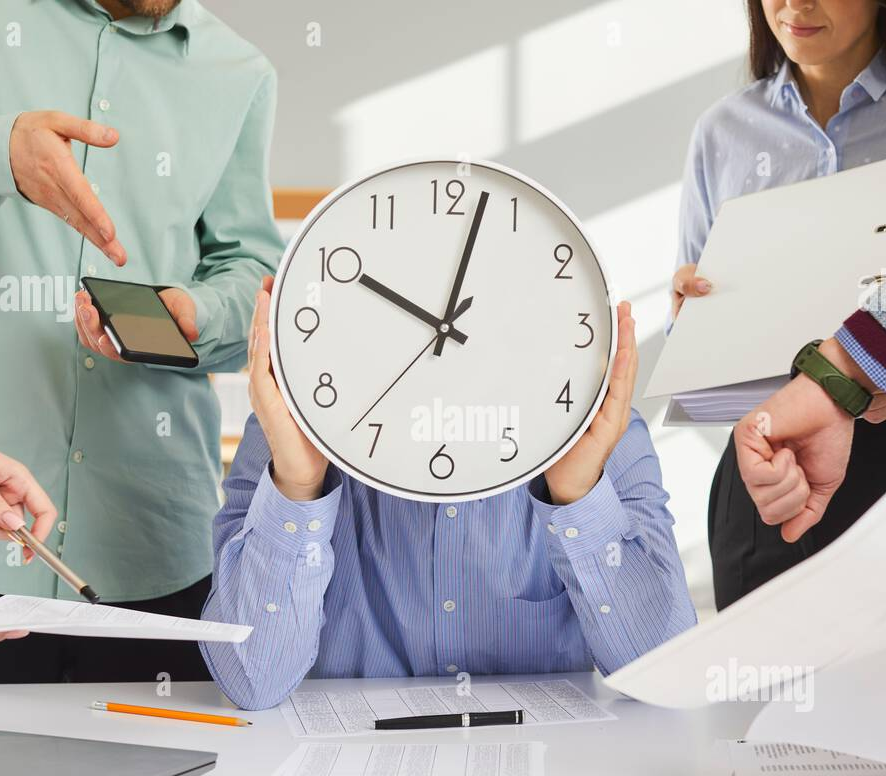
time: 10:02
